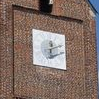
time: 12:11
